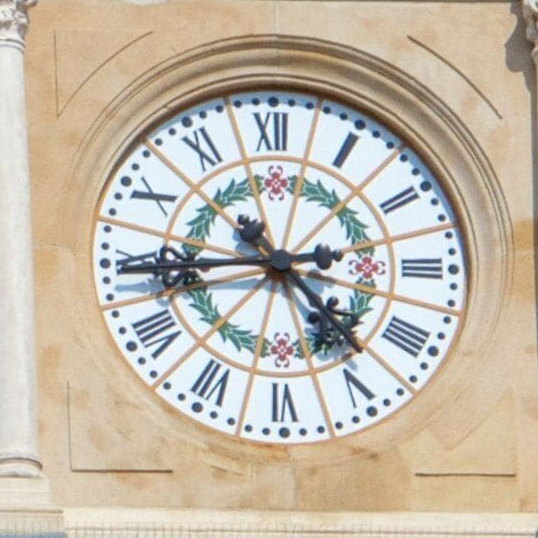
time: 4:44
